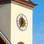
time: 11:35
